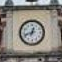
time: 12:41
